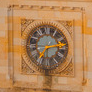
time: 7:13
